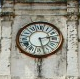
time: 2:27
